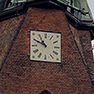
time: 10:49
